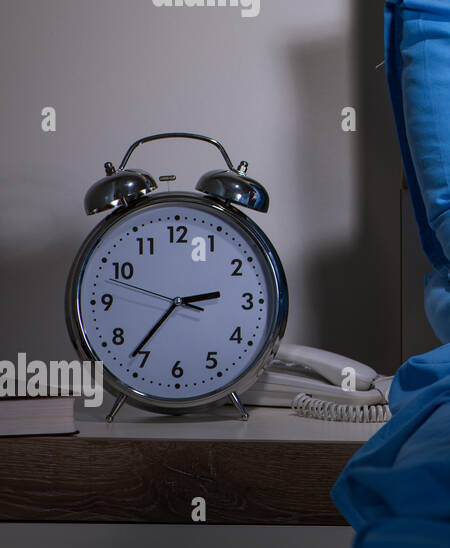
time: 2:36
